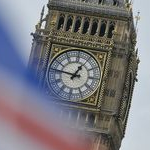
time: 12:46
